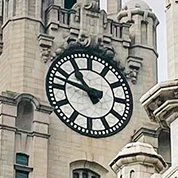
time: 10:47
